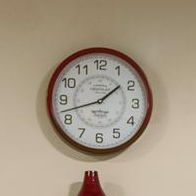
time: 1:42
